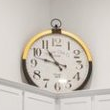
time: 10:47
